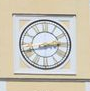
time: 2:41
